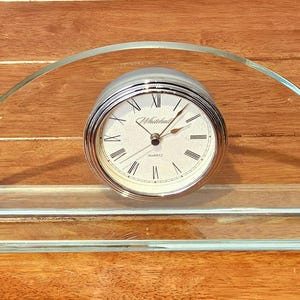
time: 2:06
